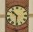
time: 10:30
